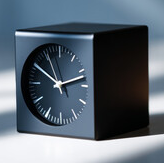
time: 10:12
